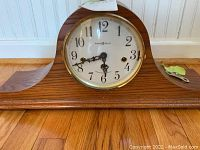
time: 5:42
